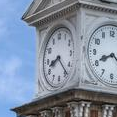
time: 8:23
